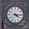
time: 4:14
